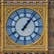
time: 1:06
